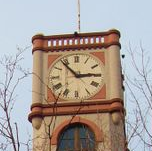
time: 2:53
